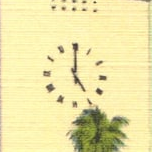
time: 5:00
